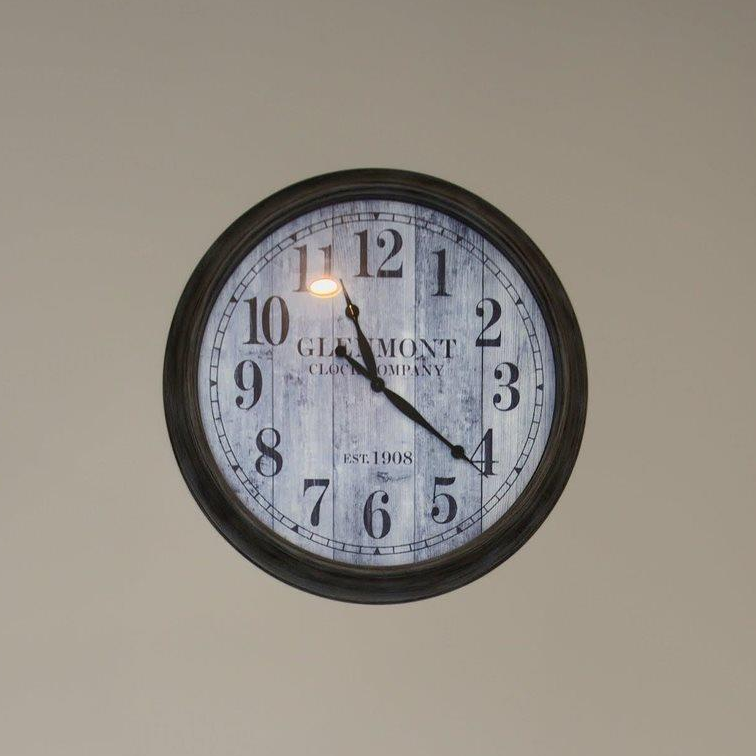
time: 11:21
